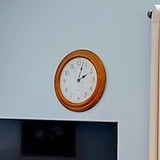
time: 2:02
